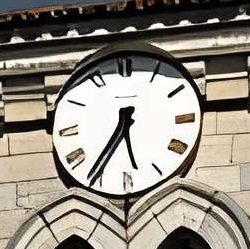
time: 5:35
